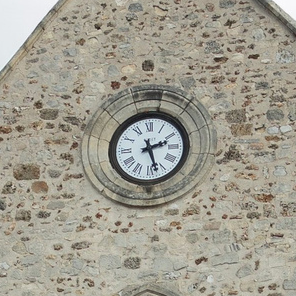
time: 2:26
